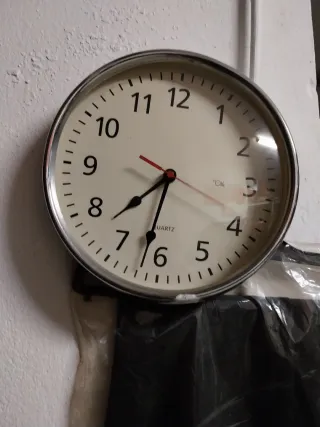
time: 7:32
